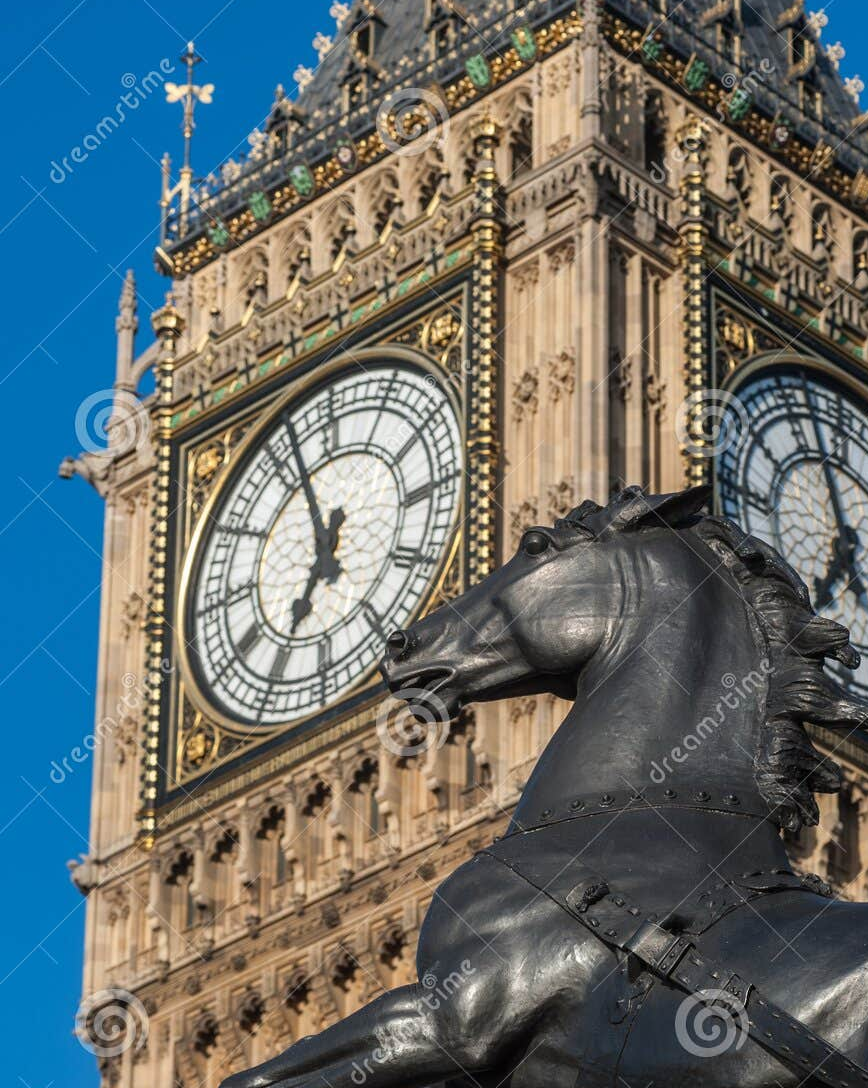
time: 6:57
